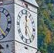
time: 5:59
